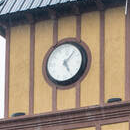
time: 5:06
